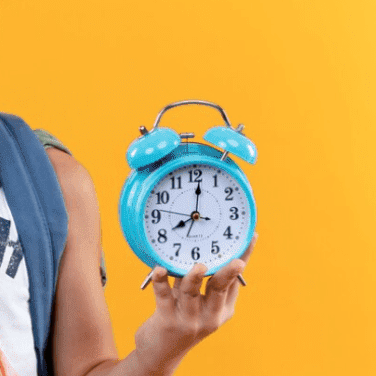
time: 8:01
